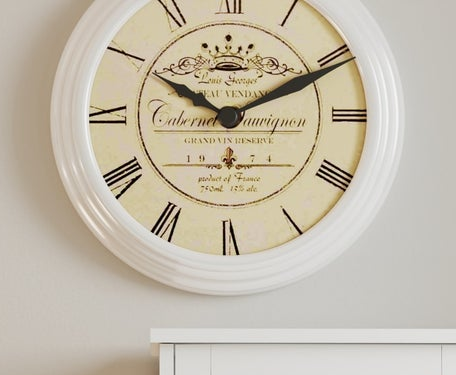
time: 10:10
